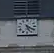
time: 5:21
